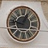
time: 12:47
